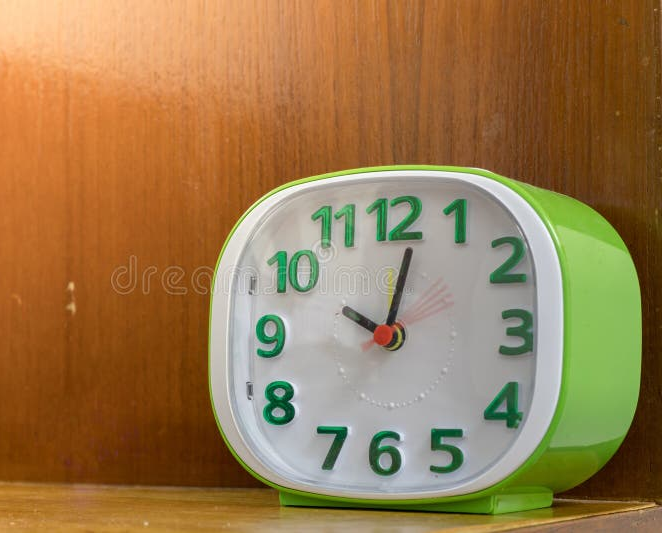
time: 10:02
